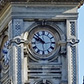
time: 9:51
